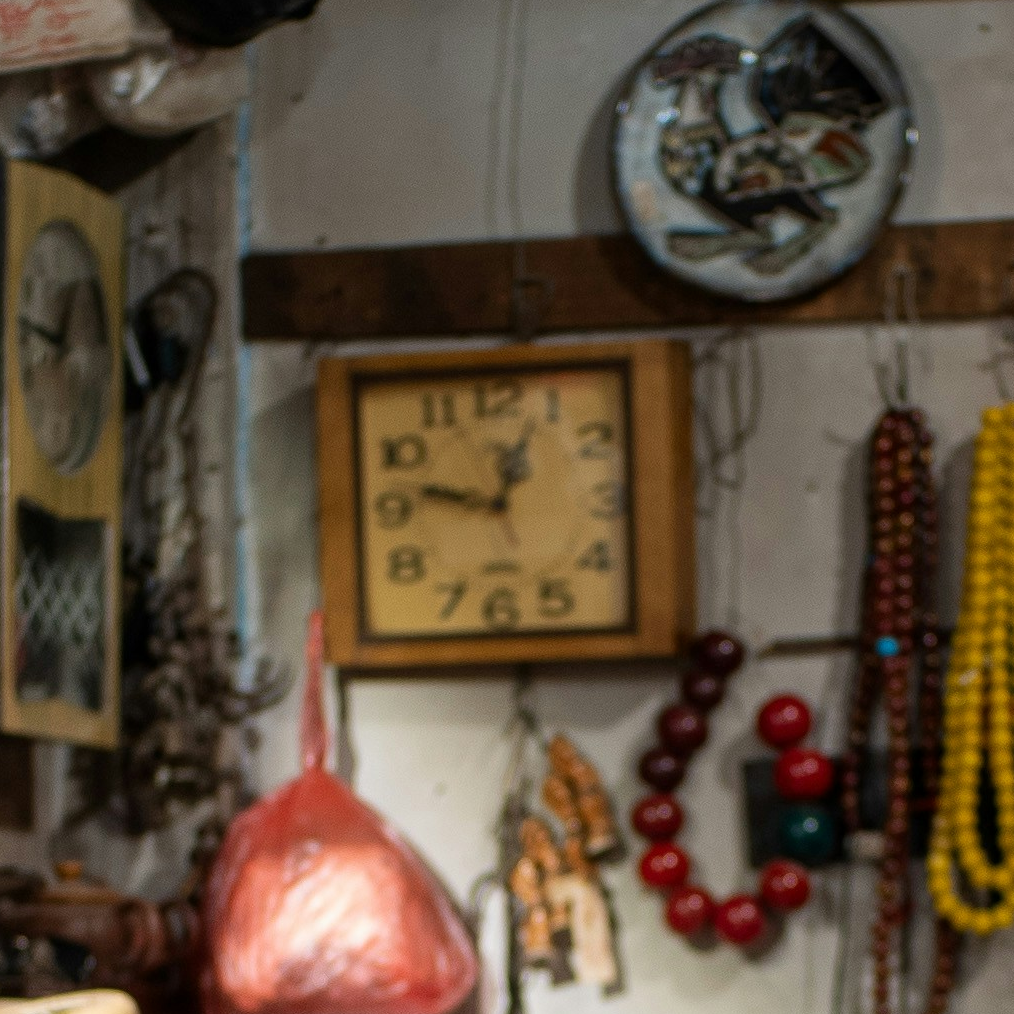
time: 12:47
